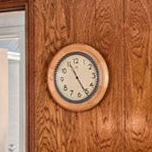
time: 11:25
